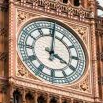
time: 4:00
